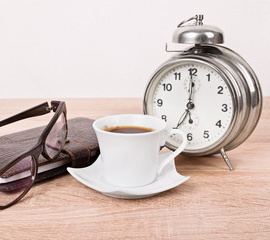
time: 7:00
